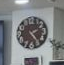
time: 2:24
